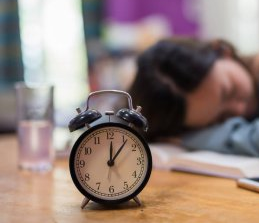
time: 12:06
